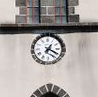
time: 1:19
